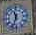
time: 11:33
